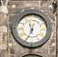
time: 11:33
